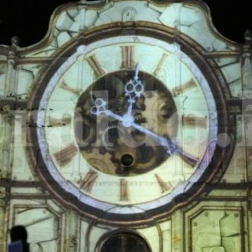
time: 12:19
